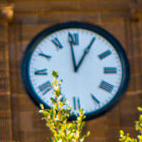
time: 12:59
